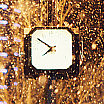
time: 7:50
